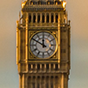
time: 11:50
